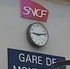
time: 9:13
